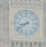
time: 8:38
